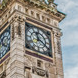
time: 11:19
